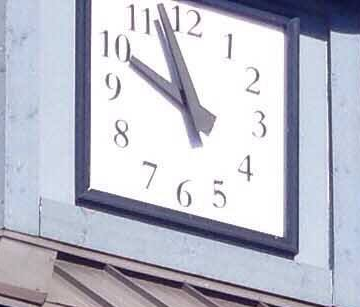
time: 9:56
